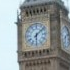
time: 6:08
